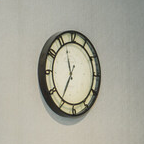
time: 11:35
